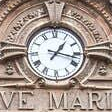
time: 1:17
